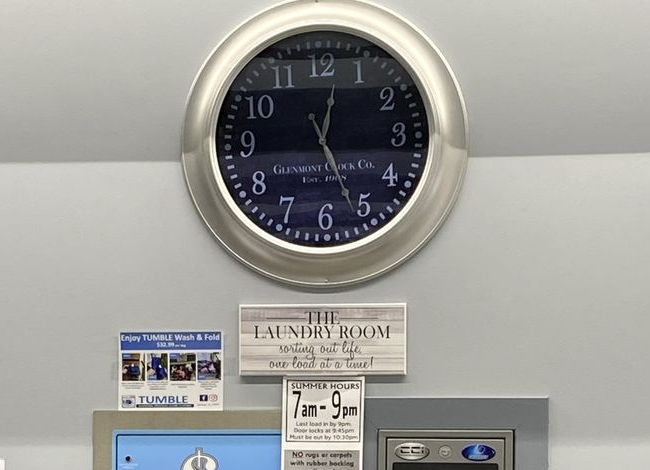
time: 12:26
